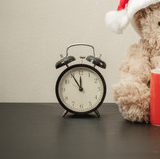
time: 11:54
